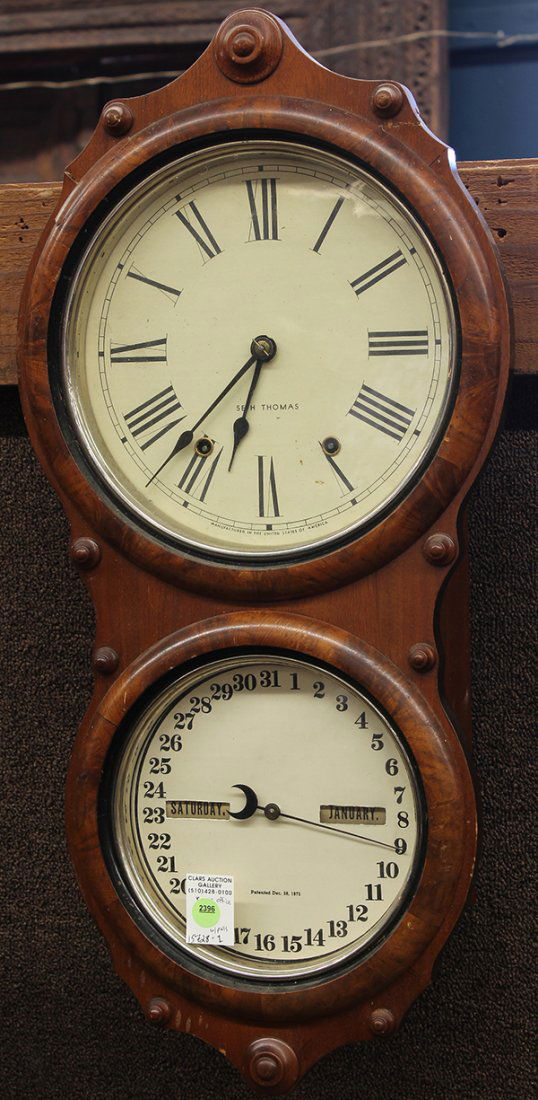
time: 6:36
